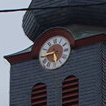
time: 5:43
